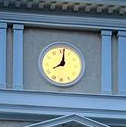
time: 8:01
